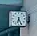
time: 6:25
